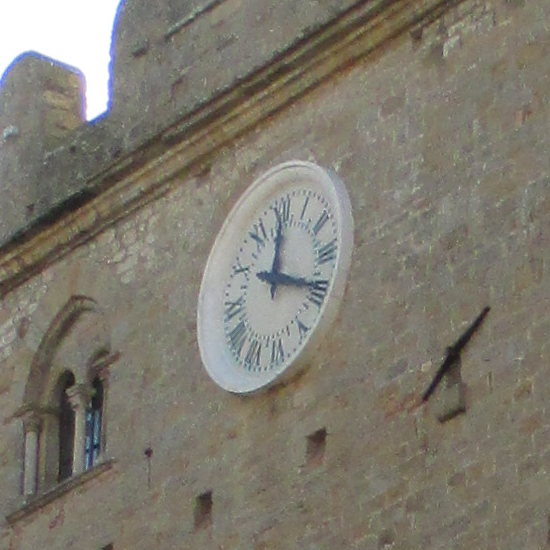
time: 12:19
